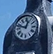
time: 12:47
